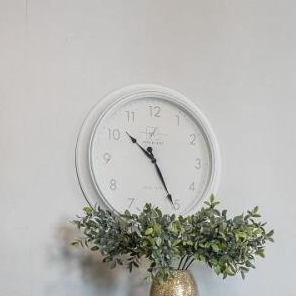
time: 10:25
